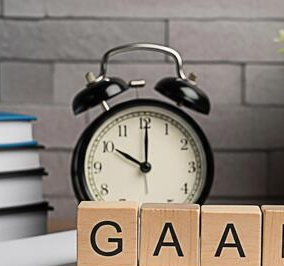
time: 10:00
